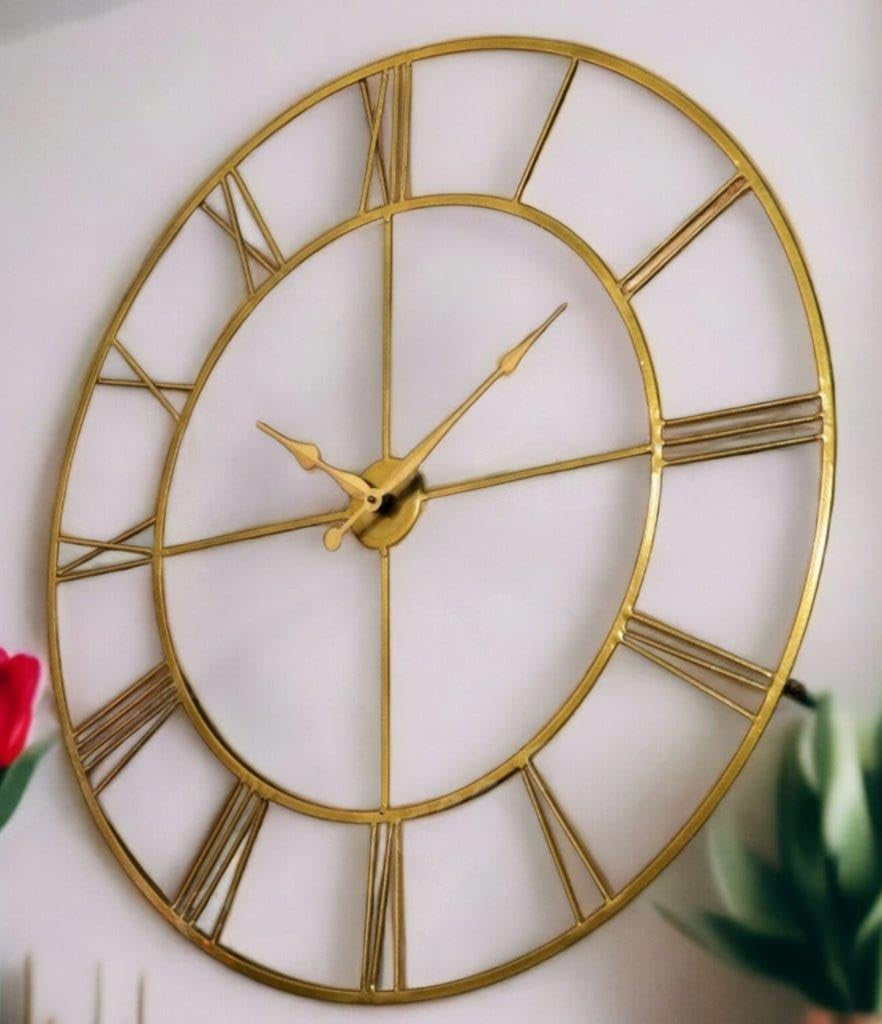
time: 1:44
